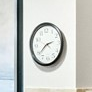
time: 2:38
